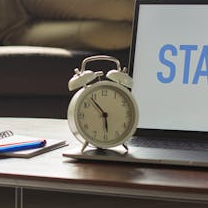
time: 5:53
